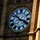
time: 3:51
